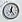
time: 12:23
